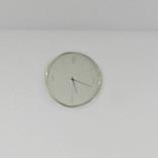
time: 5:18
